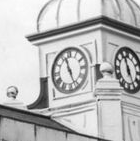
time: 11:26
